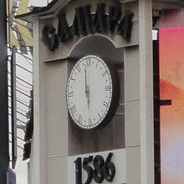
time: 5:59
